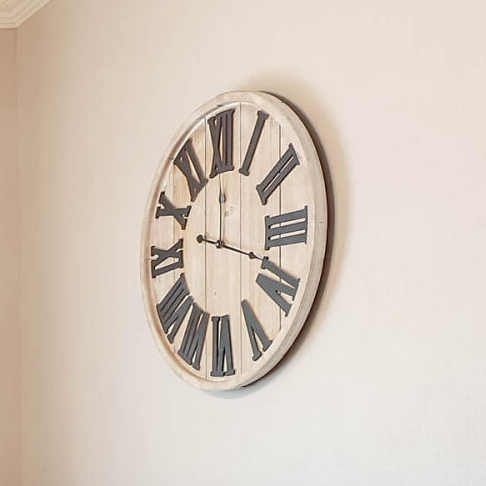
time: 12:18
